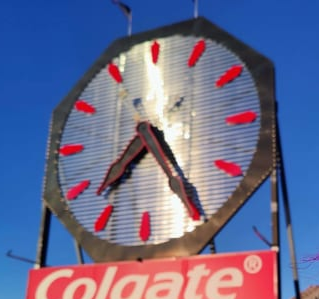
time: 7:24
